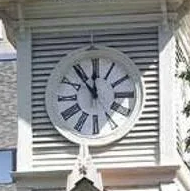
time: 11:53
